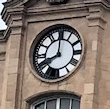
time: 7:59
